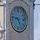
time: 4:46
